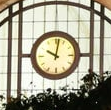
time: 10:01
